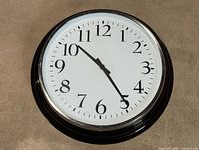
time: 10:24
